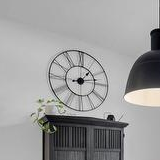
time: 1:13
